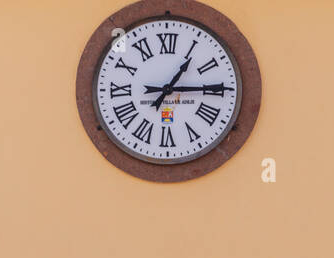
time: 1:14
